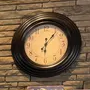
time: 6:06
